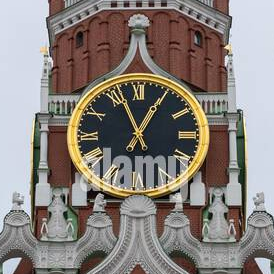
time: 12:56
